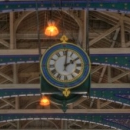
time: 2:01
